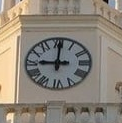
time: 9:00
